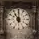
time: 11:00
